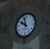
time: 9:57
